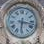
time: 6:16
